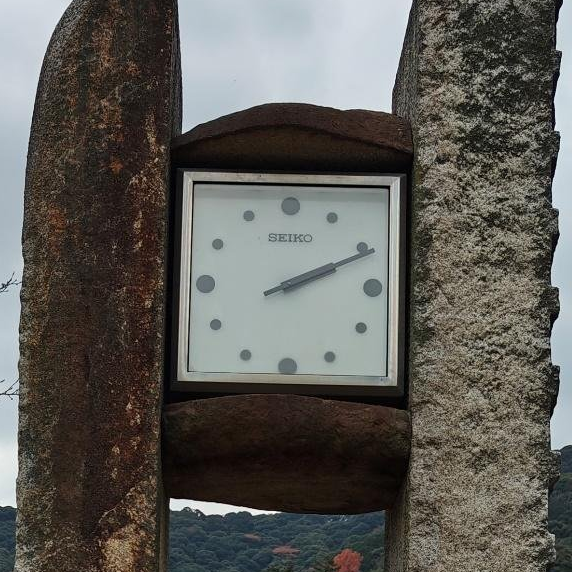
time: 2:11
